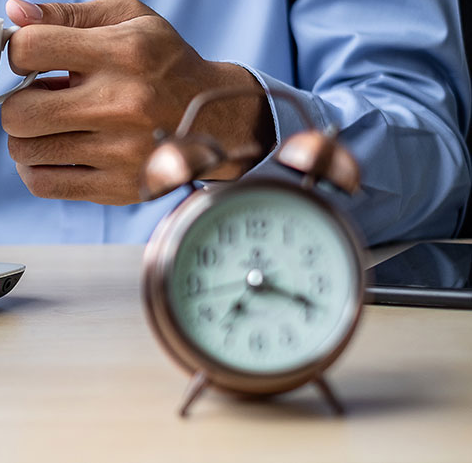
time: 7:18
